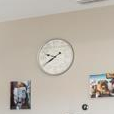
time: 9:39
